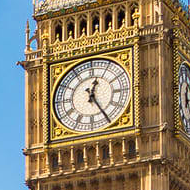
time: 12:24
